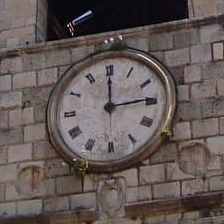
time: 2:59
